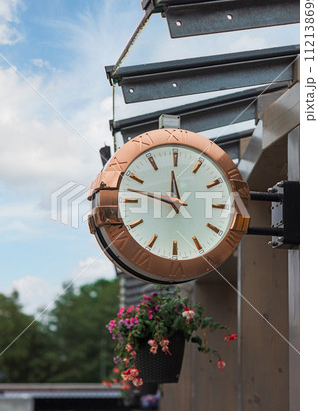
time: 11:46
